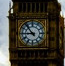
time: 8:53
